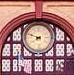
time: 7:48
